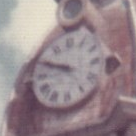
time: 9:48
